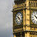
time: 10:22
